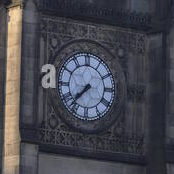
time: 7:37
